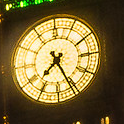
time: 7:25
